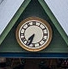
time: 7:33
